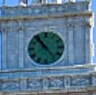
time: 10:53
